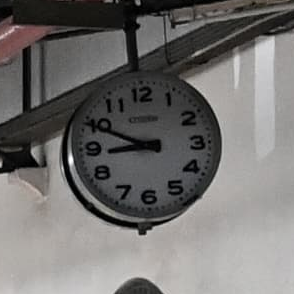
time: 8:49
